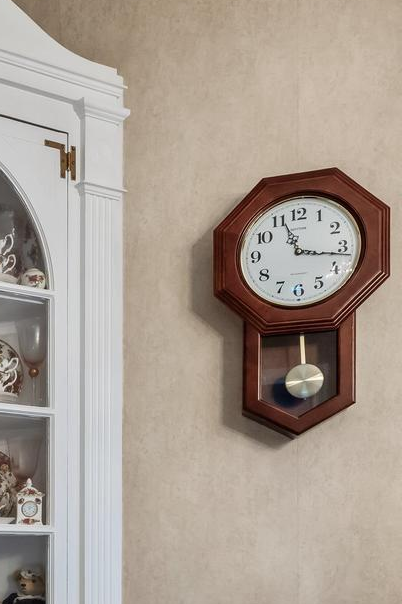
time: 11:16
